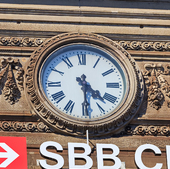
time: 4:29
